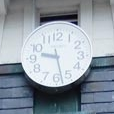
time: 9:27
